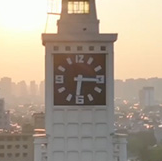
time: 6:15
